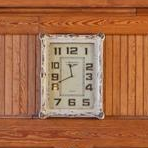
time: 11:41
